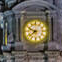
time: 7:49
